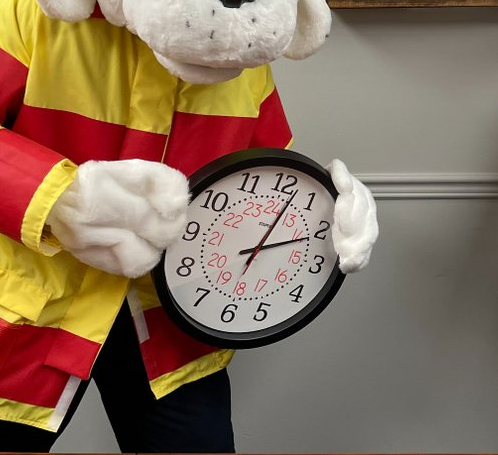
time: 2:02
